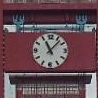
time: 11:07
